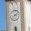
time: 3:09
